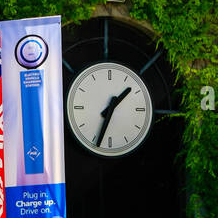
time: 1:33
